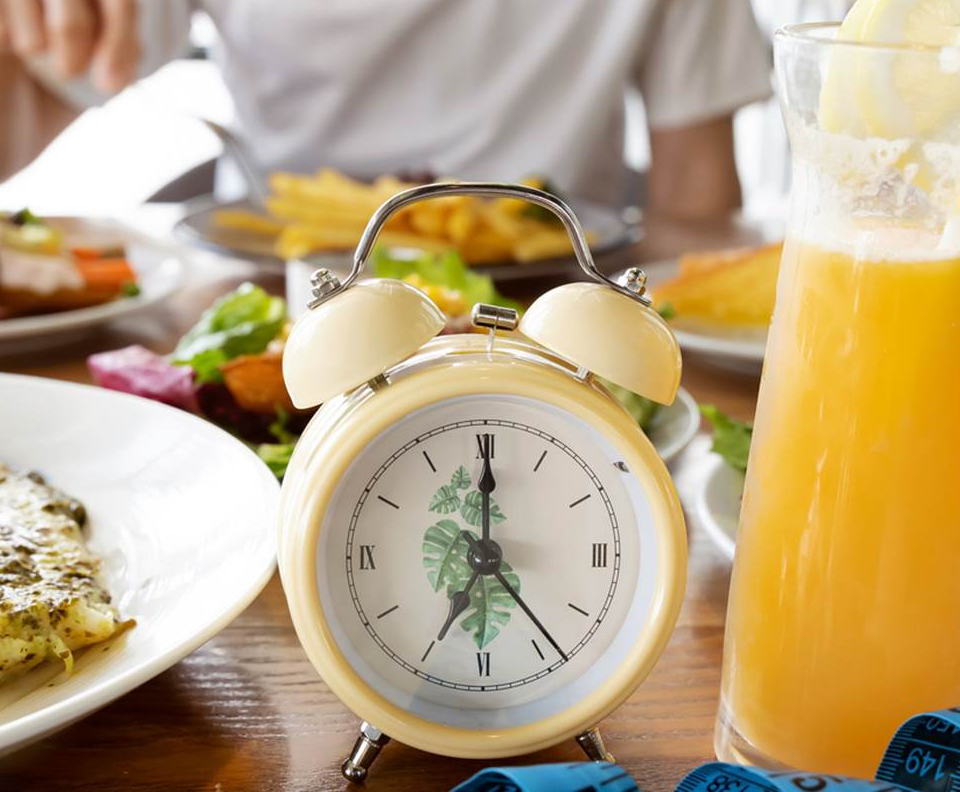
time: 7:00
